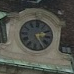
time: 2:24
